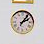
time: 2:06
